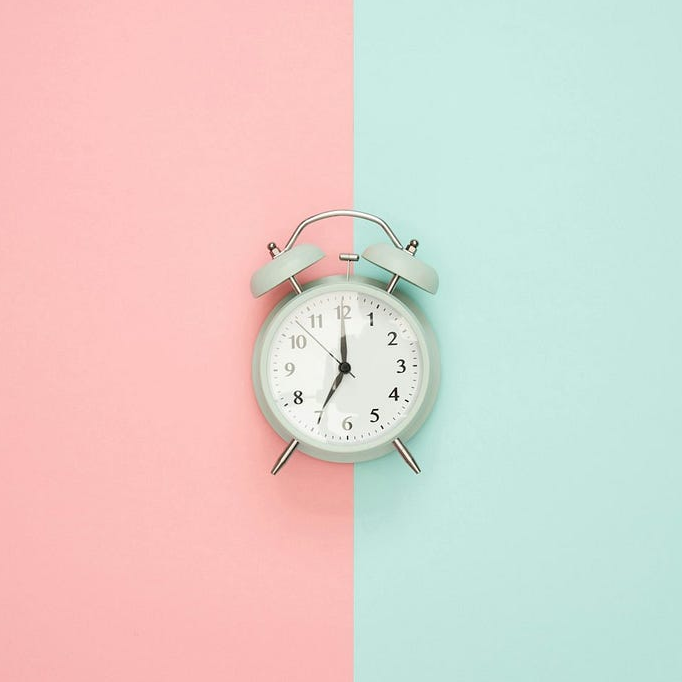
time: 7:00
